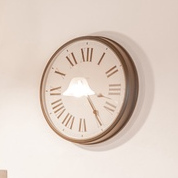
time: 3:24
